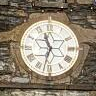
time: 11:32
